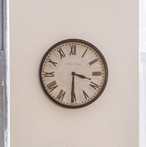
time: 3:30
